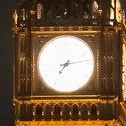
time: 7:13
